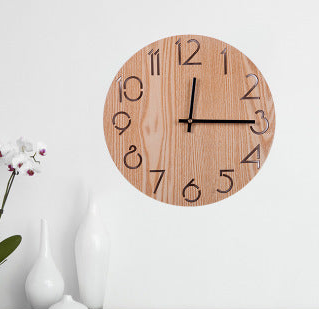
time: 12:15
